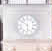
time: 5:51
